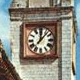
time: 12:07
